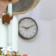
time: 9:10
